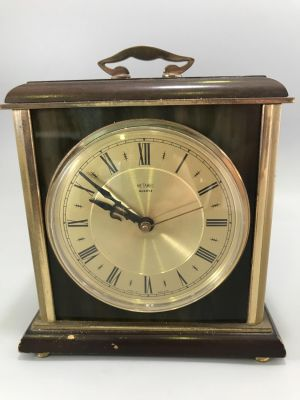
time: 9:51
